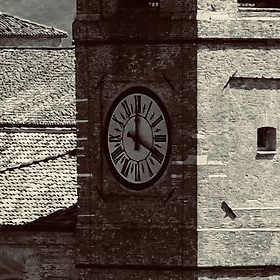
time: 12:19
